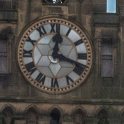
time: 12:18
